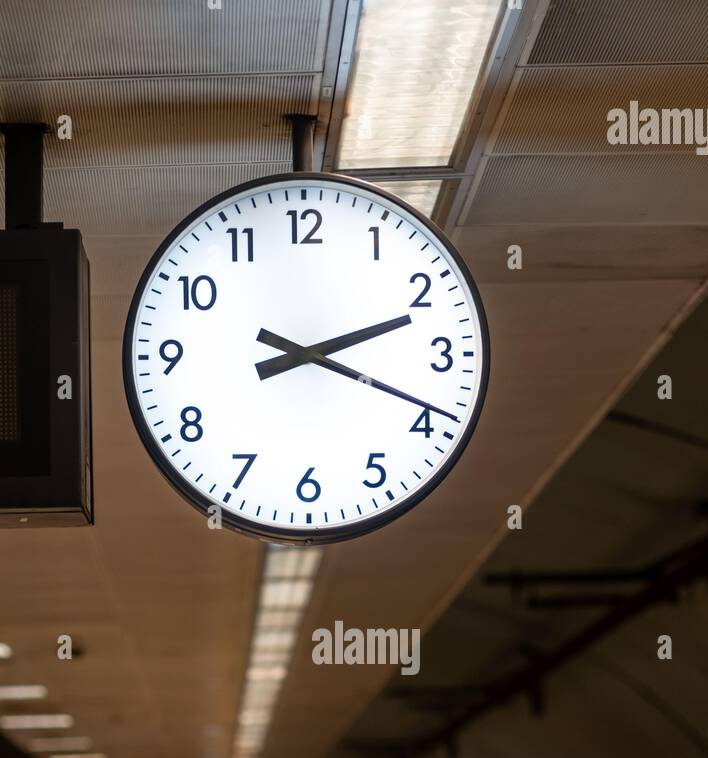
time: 2:18
